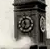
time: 11:33
